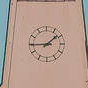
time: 1:44
